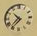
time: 10:37
